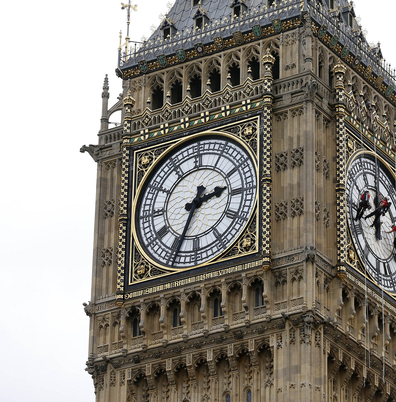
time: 2:34
